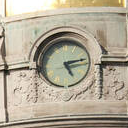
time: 5:13
